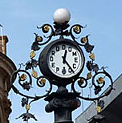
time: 12:23
